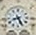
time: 8:26
